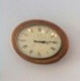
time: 3:14
